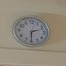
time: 2:30
